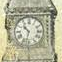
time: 10:32
